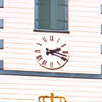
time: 2:18
